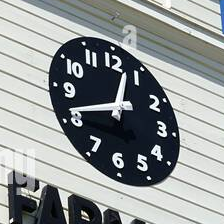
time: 12:41
